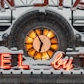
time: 6:55
